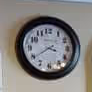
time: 3:39
